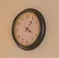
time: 4:06
